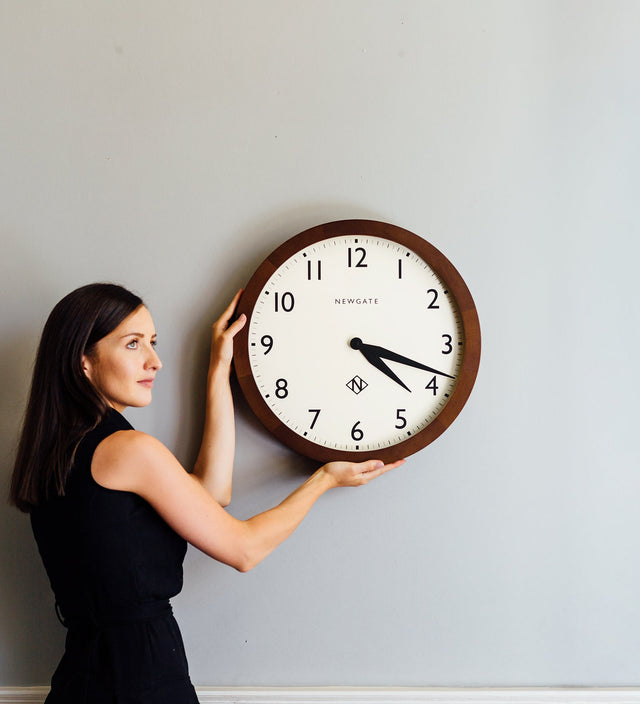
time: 4:18
